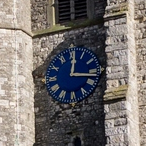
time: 12:16
